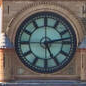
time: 5:13
